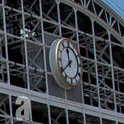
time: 11:38
